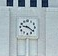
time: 9:21
